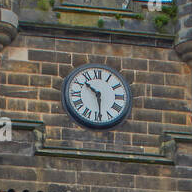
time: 10:29
